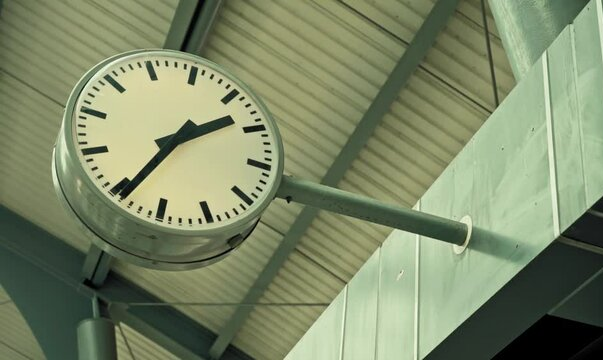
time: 2:39
